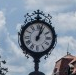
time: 1:02
